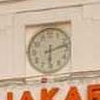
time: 6:12
